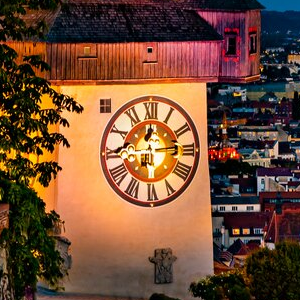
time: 12:13
